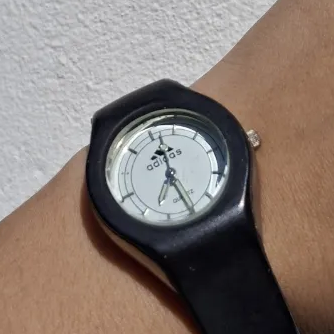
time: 11:24
